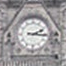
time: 2:16
